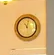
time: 11:02
